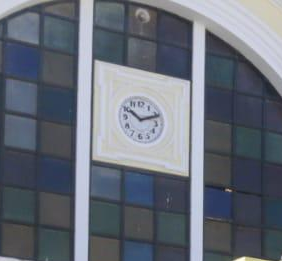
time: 10:11
